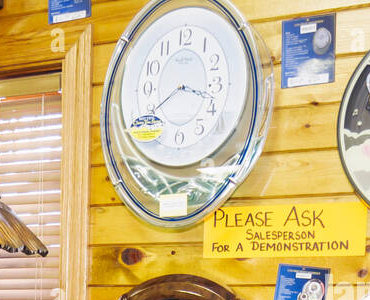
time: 3:39
